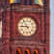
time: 8:54
